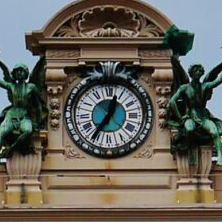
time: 12:35
